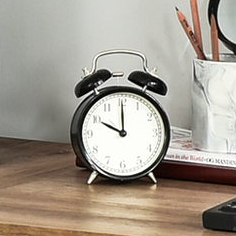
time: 10:00
